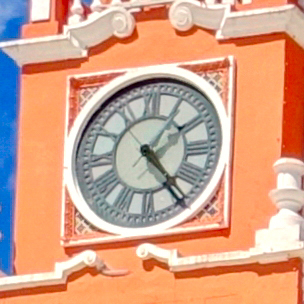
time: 1:23
